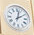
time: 2:02
